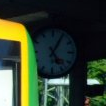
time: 5:05
